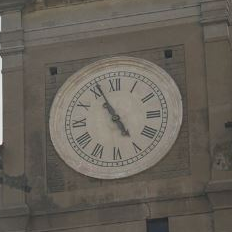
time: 4:55
